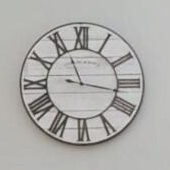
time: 11:16
